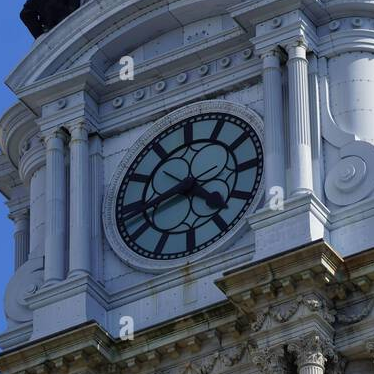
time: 4:42
